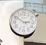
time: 2:50
